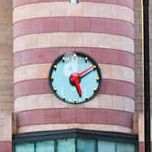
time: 5:10
